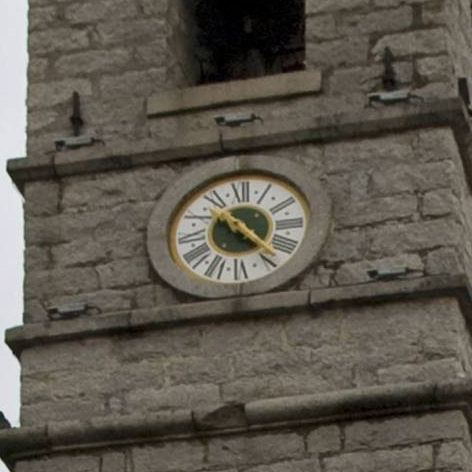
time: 4:23
